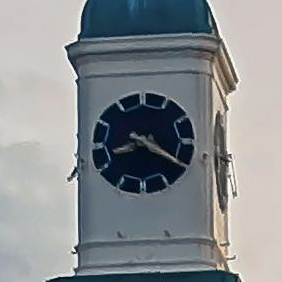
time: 8:20
